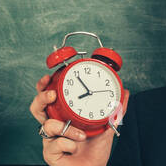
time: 7:54
